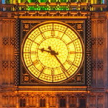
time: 9:23
